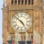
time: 4:52
